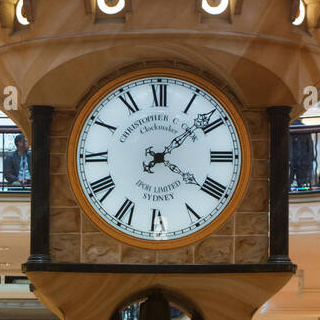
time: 4:08
